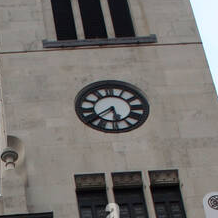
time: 5:38
